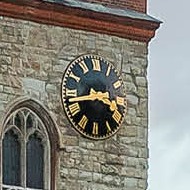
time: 3:43
